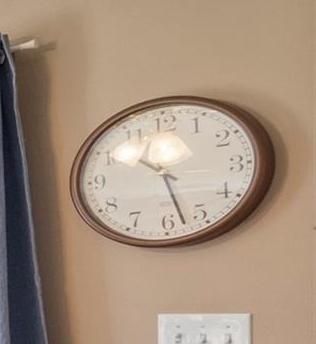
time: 10:27
